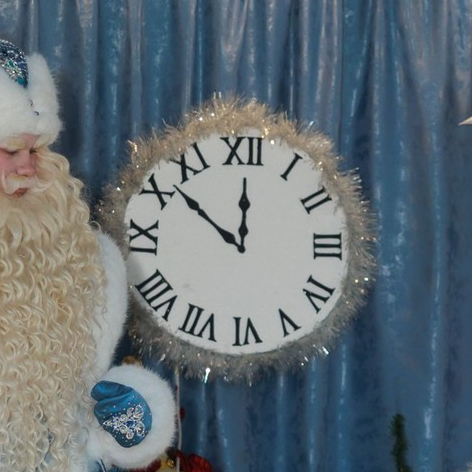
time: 11:51
